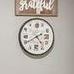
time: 4:40
